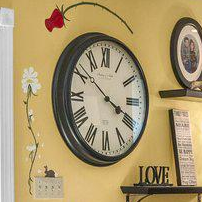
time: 3:51
